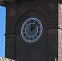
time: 12:06
